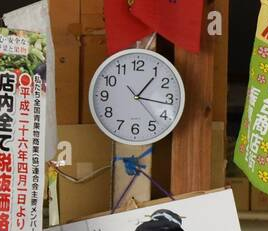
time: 1:16
